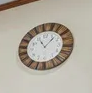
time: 11:07
